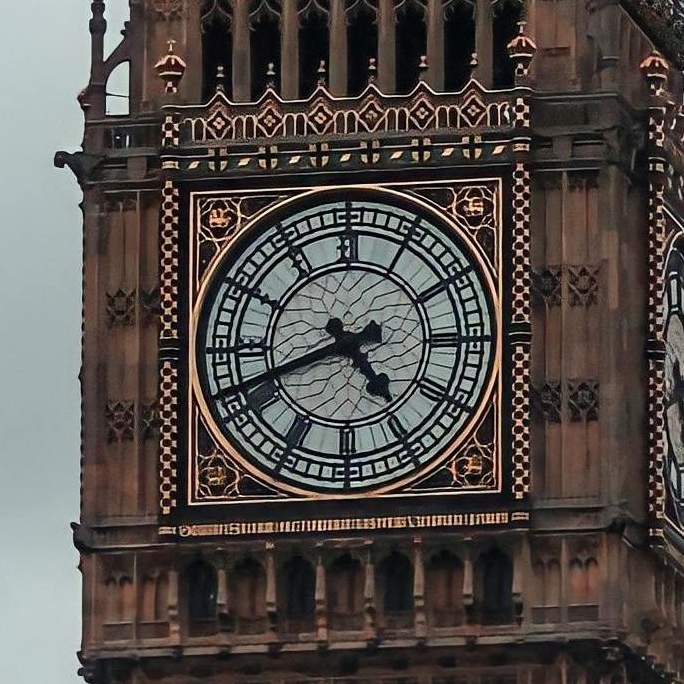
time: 4:41
